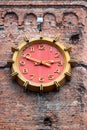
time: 2:48
